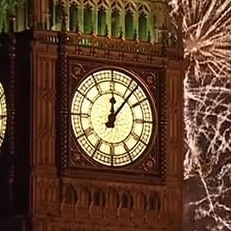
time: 12:06
